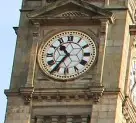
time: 10:36
